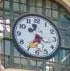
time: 5:35
